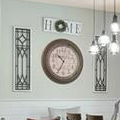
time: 10:34
